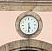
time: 5:31
